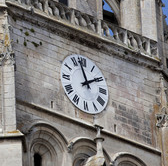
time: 1:57
